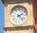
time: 2:23
